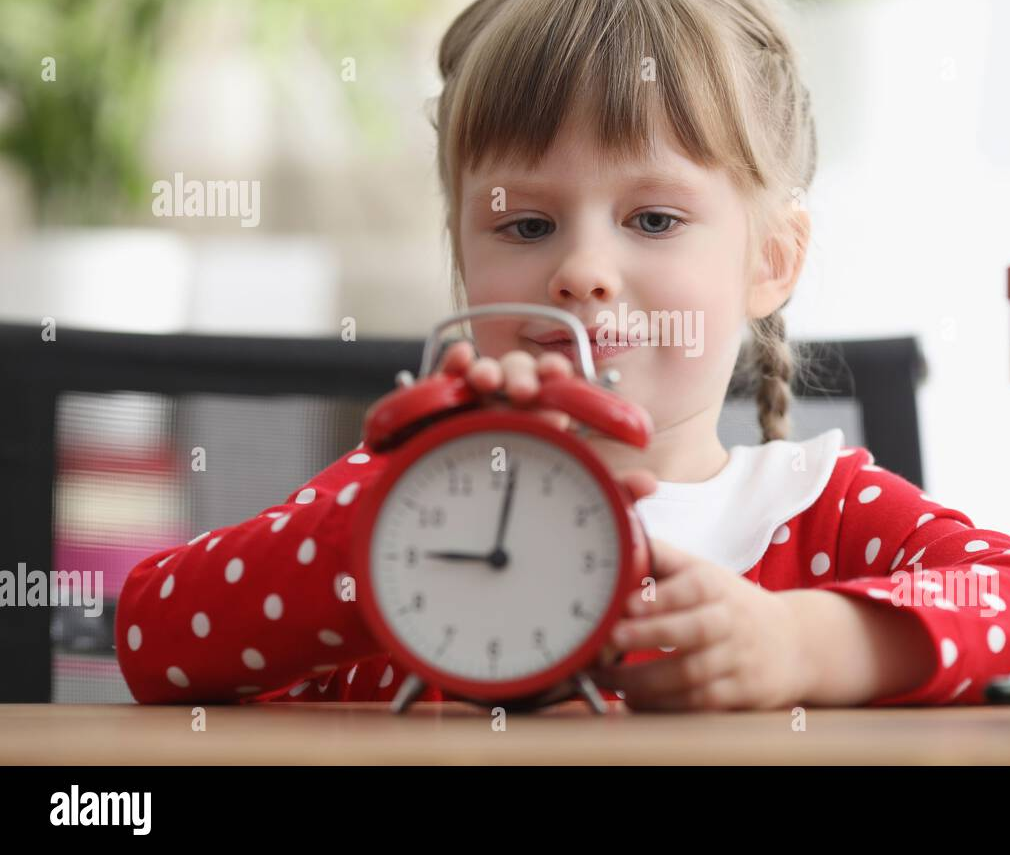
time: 9:01
